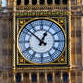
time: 12:52
